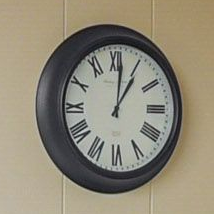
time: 1:01
